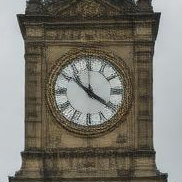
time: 10:20
